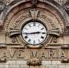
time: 2:43
